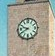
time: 9:40
